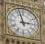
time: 2:57
